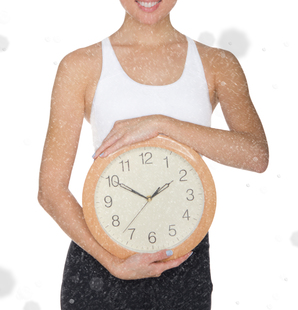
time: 1:50
